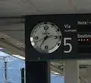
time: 7:14
